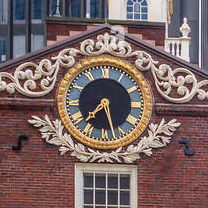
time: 7:27
